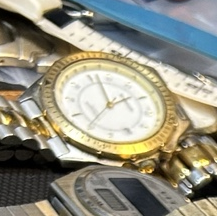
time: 1:56
